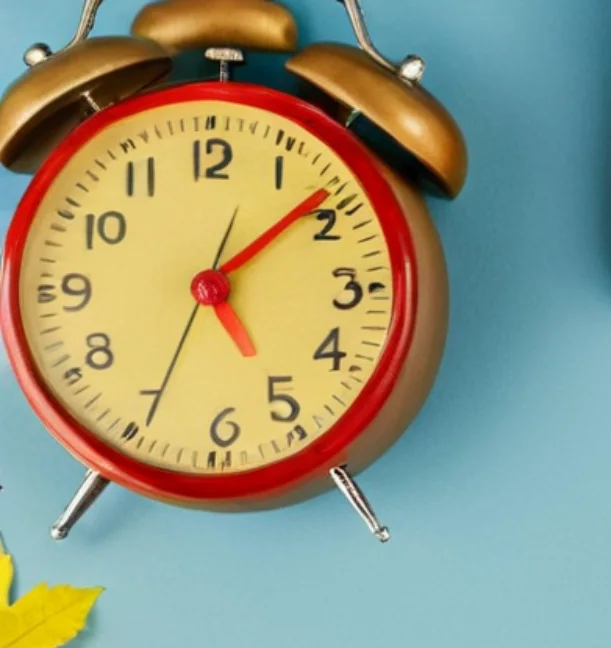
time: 5:08
